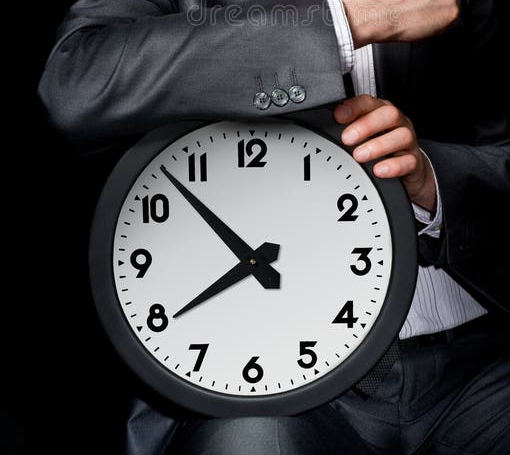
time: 7:52
